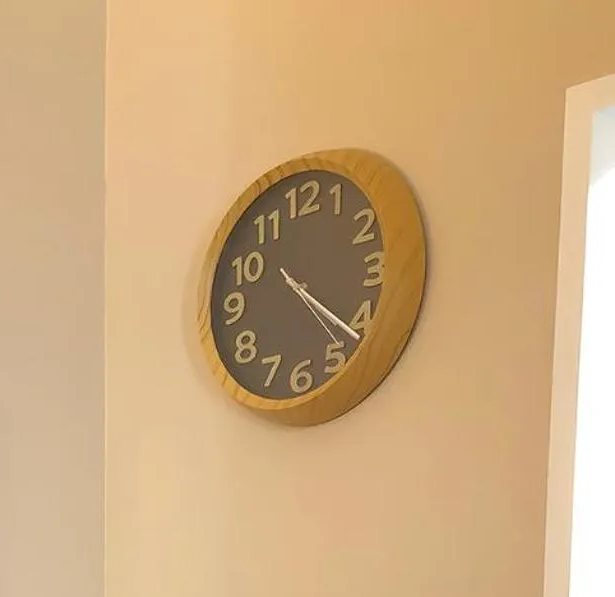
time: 4:21
